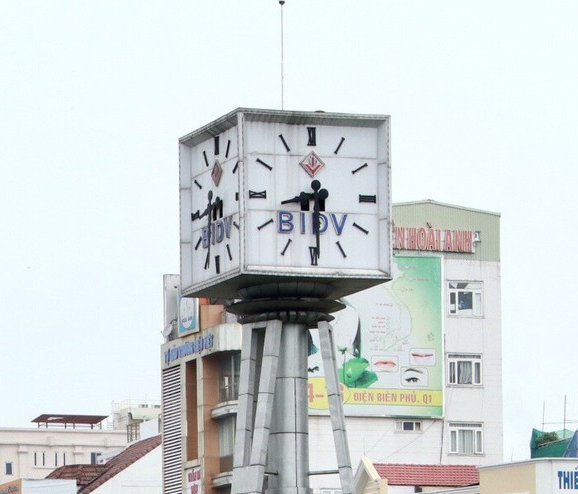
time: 8:29
